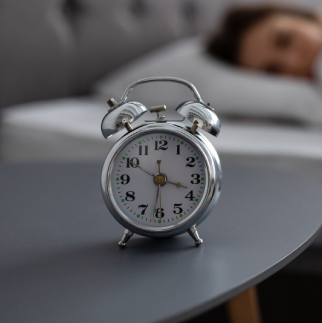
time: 3:31
